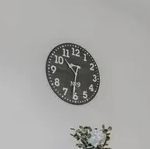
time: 10:31
